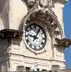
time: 9:05
